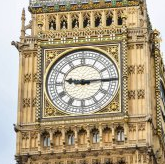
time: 9:14
